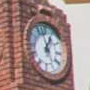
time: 12:57
